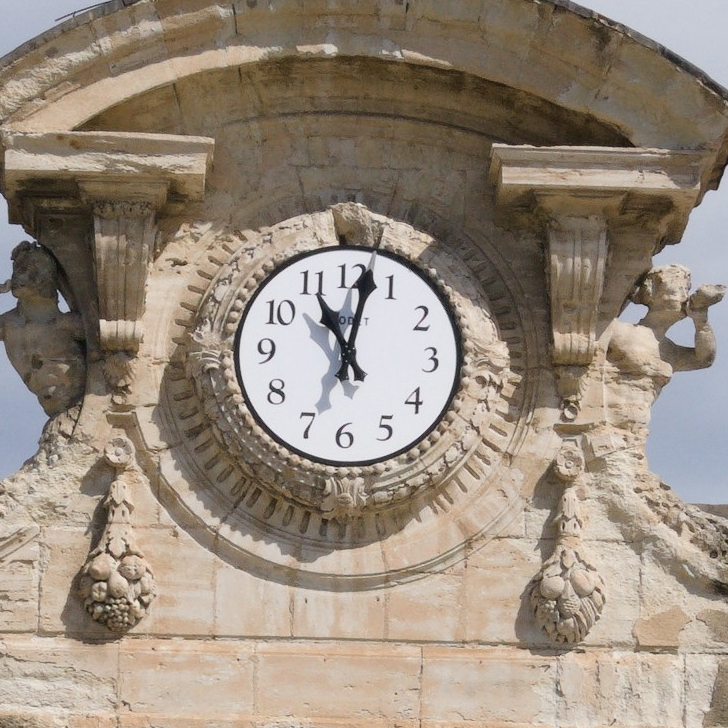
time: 11:02
